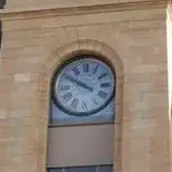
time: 9:50
